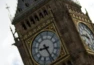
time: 8:24
